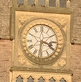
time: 3:31
